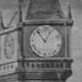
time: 12:53
